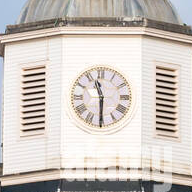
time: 11:30
